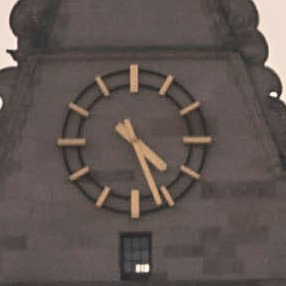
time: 4:26
